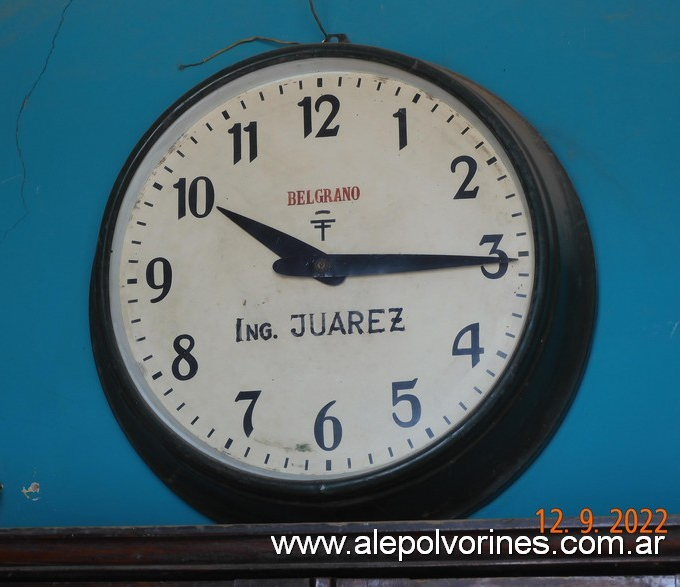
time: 10:15
